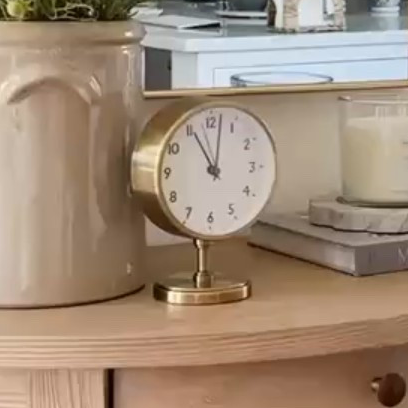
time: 11:01
